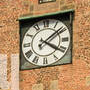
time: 4:08
